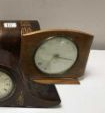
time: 7:17
